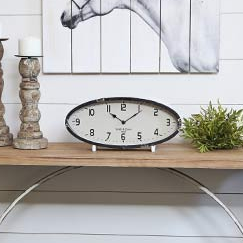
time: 11:07
